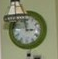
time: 2:58
